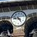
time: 4:46
